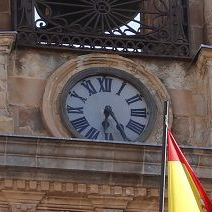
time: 6:25
